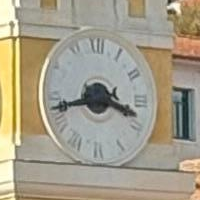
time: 3:42
